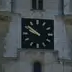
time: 9:51
